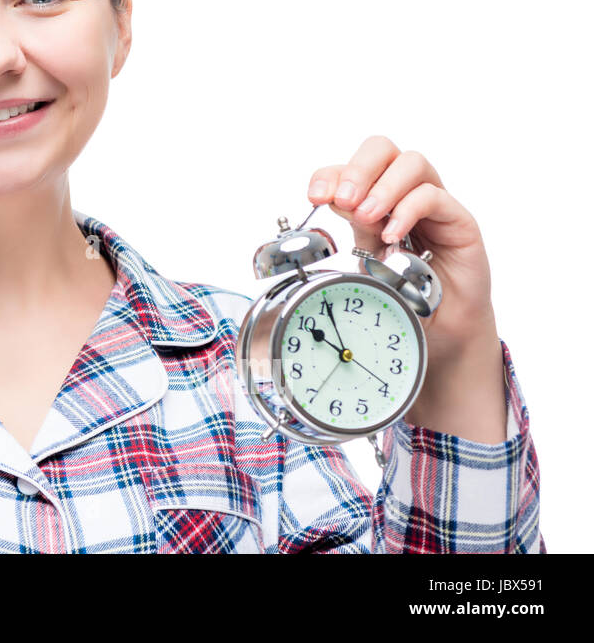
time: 9:55
